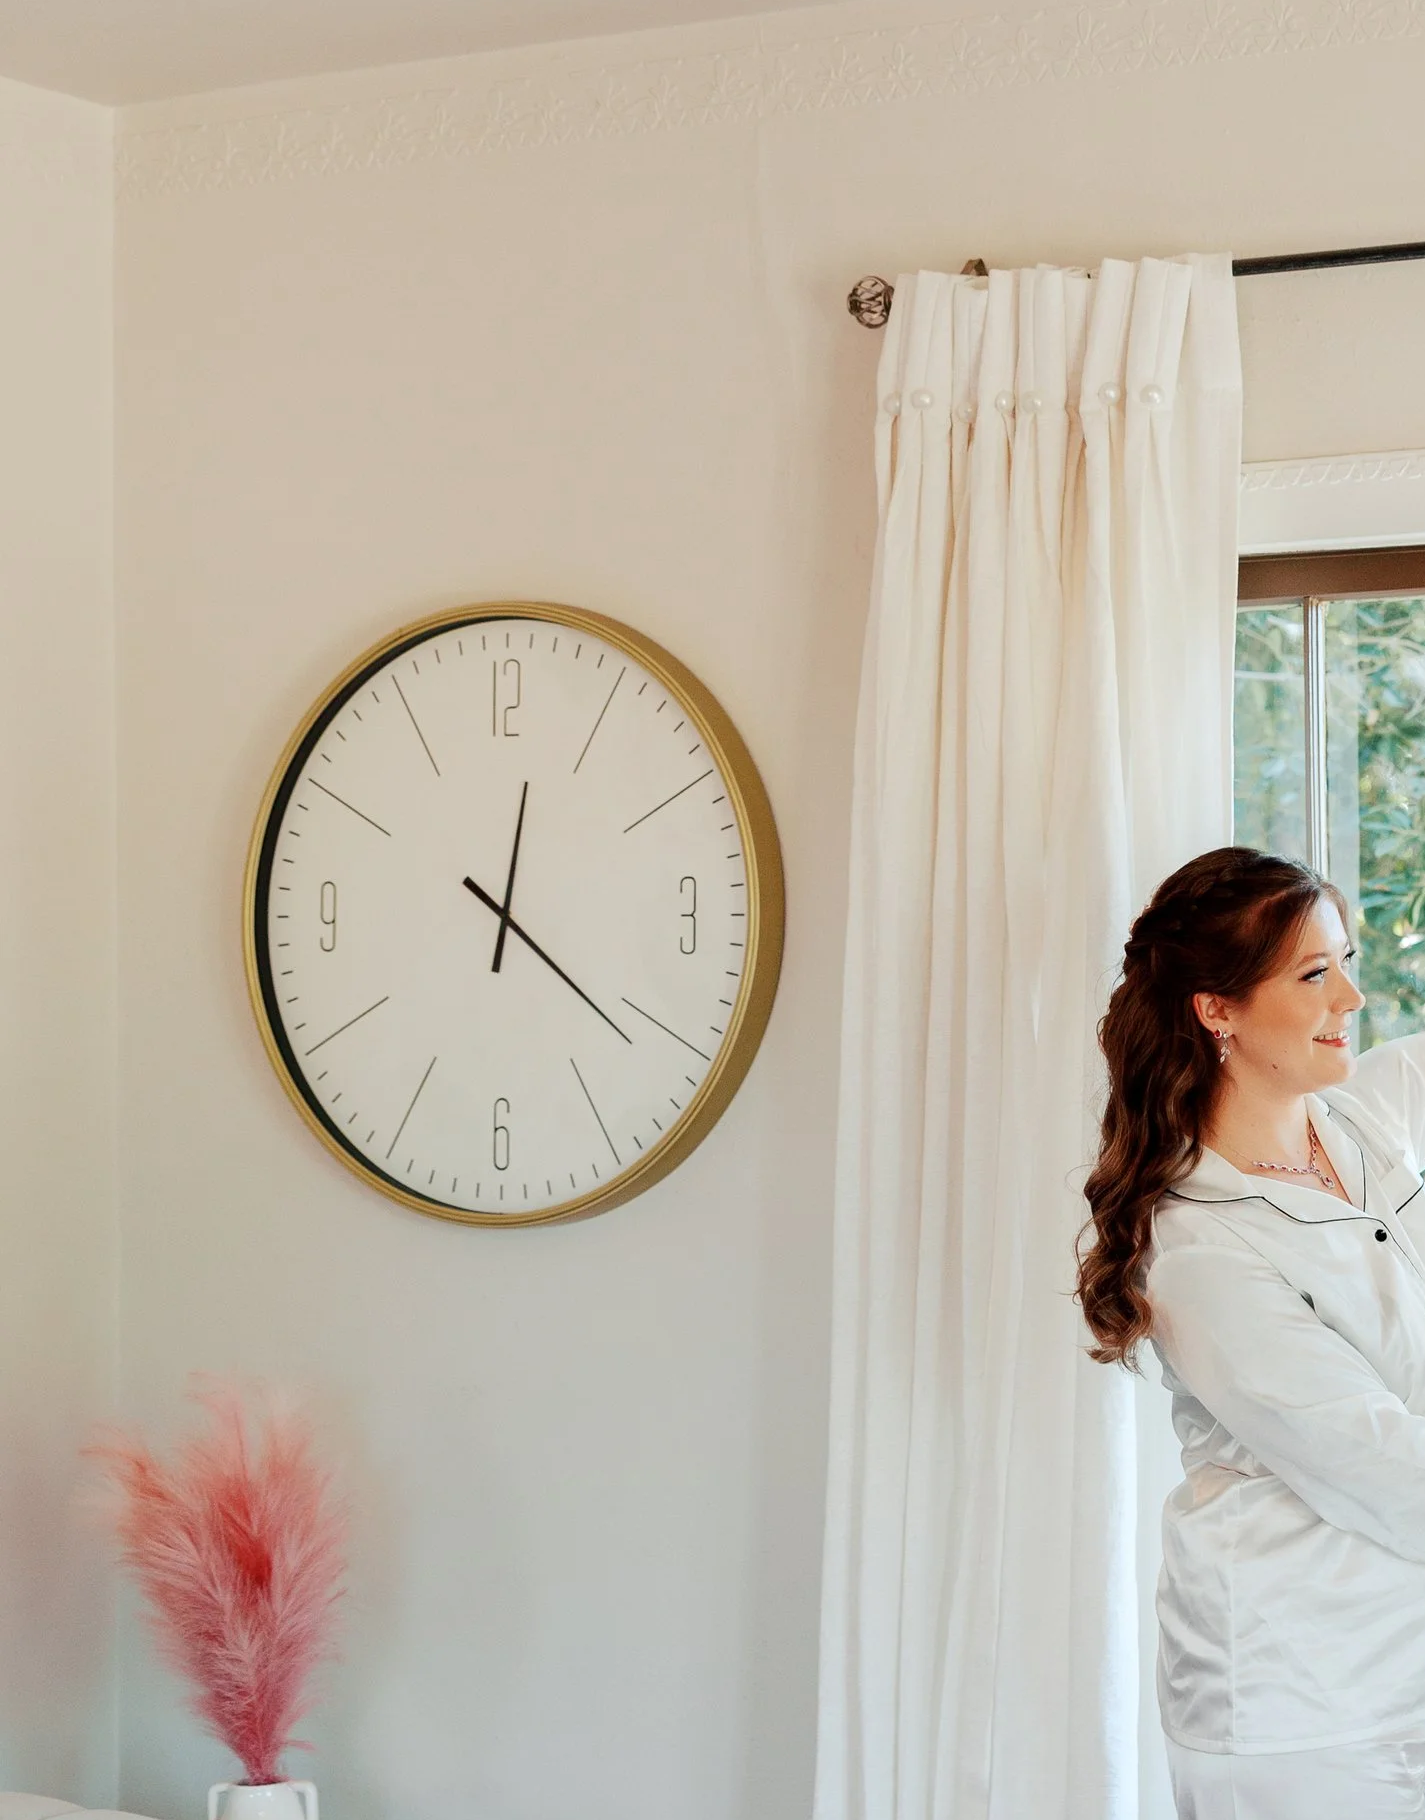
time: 12:21
